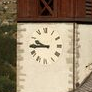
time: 9:44
